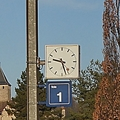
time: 9:27
